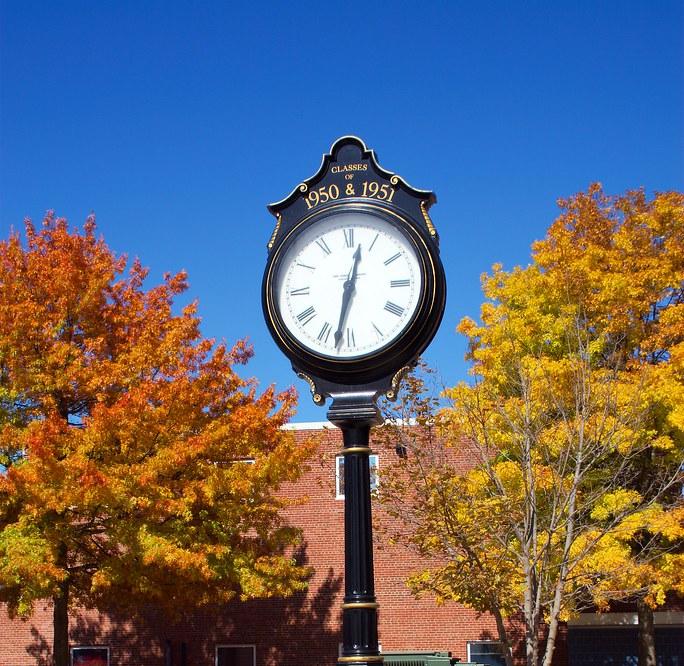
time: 12:32
